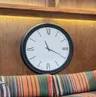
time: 11:19
